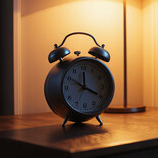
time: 3:50
